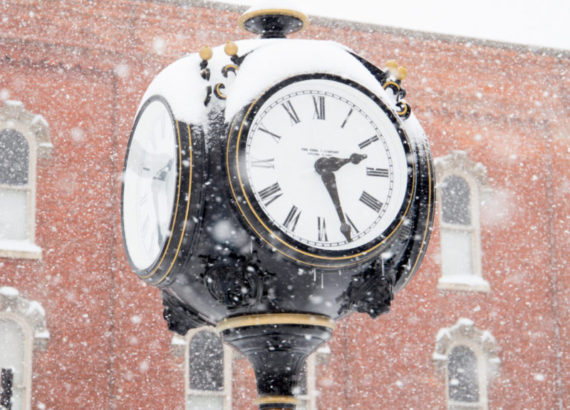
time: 2:25
